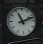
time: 11:11
